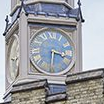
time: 3:30
